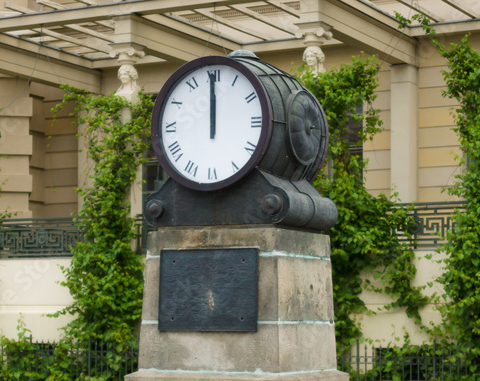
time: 11:59
